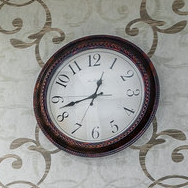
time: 12:42
